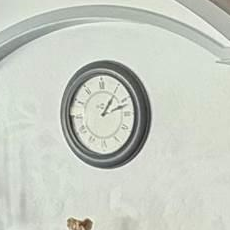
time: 1:12
